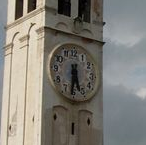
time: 5:31
